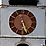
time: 5:26
